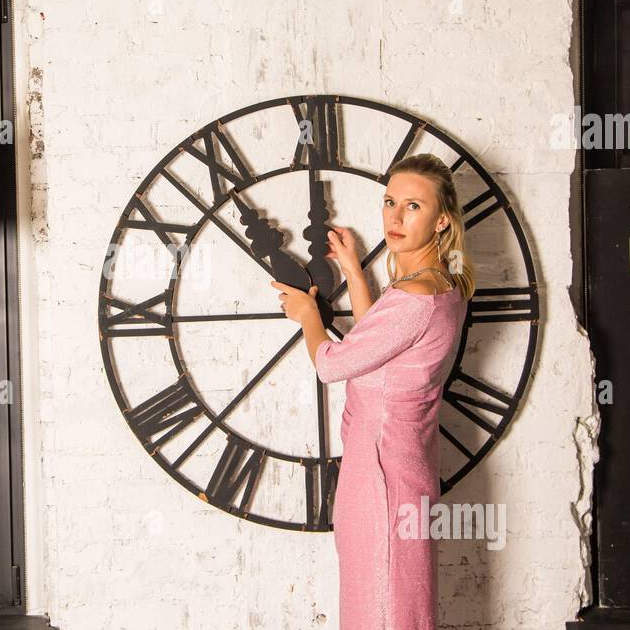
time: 11:52
